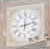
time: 12:12
